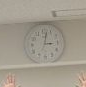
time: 3:02
